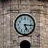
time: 5:15
